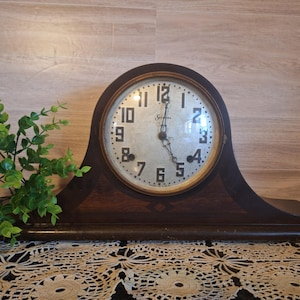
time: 5:01
